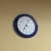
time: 7:04
